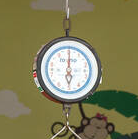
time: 6:00
